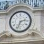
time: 2:33
